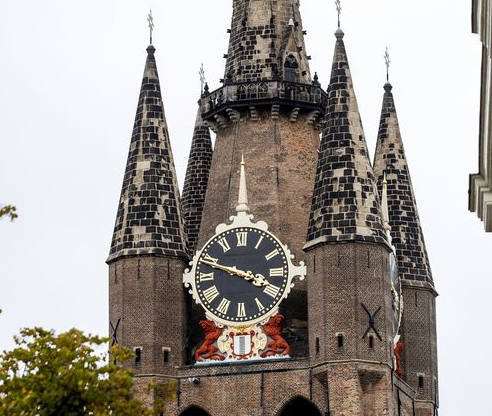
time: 3:47
